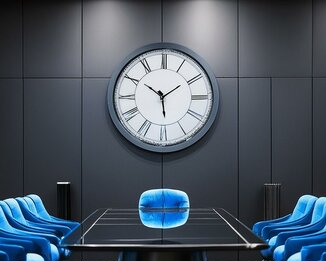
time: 1:50
